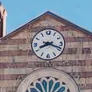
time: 8:18
